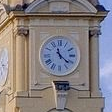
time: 11:21
